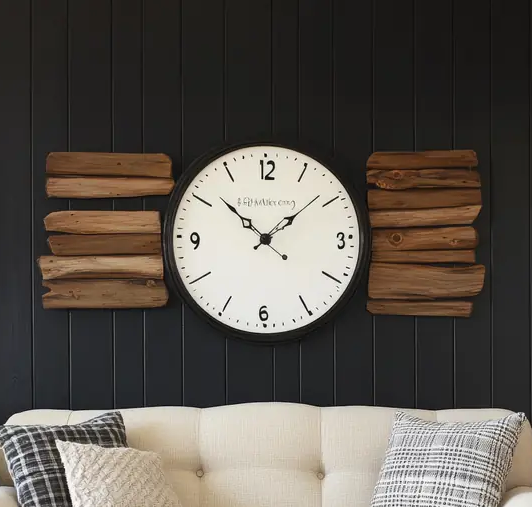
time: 1:51
